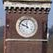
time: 11:48
